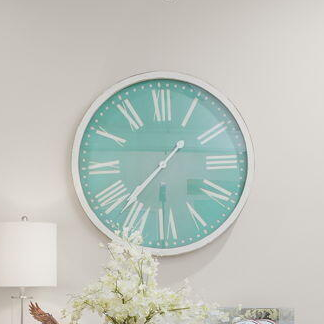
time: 1:37
